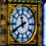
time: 11:40
